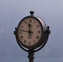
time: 11:46
